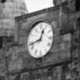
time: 12:42
